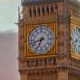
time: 6:42
